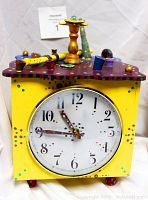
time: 10:45
